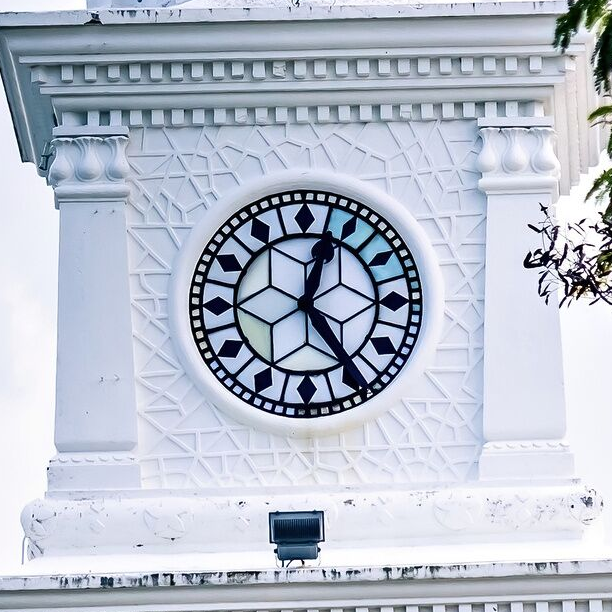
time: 12:23
